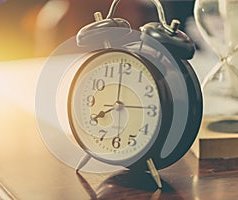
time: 8:00
